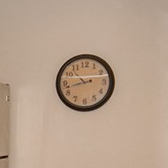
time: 10:42
